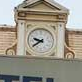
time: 9:39
